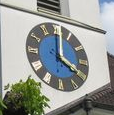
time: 4:01
